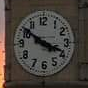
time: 3:51
